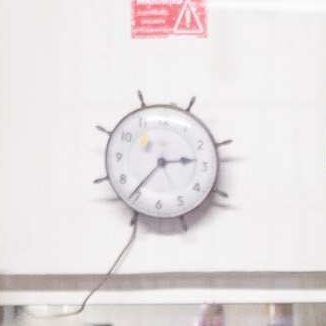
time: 2:36
